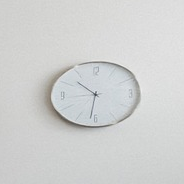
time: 10:31
